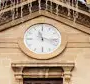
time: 11:17
